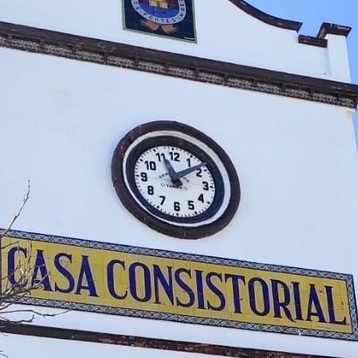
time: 11:08
